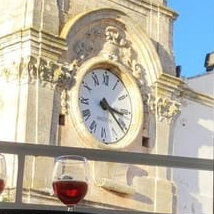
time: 3:21
